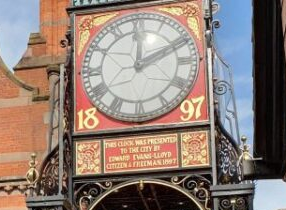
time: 12:10
